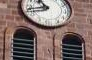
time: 10:43
